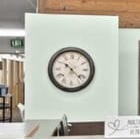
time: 10:22
